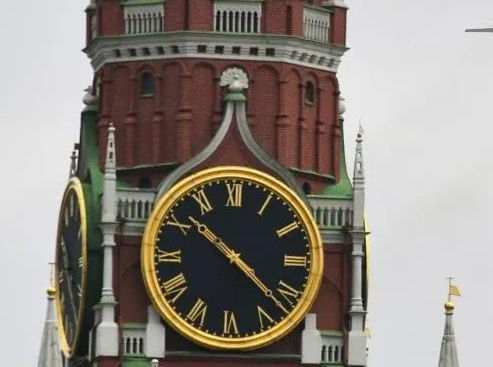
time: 10:22
